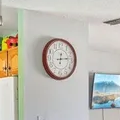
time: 12:13
